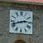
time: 2:42
